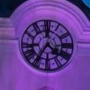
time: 4:35
